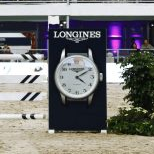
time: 4:10
